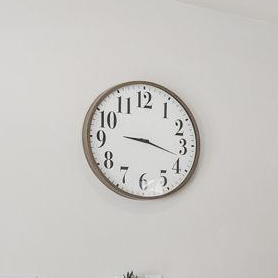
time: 9:17
